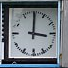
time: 3:00
